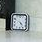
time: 4:23
